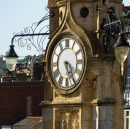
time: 5:24
